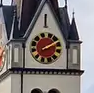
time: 2:10
